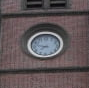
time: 7:47
